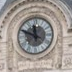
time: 11:48
